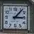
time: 3:06
